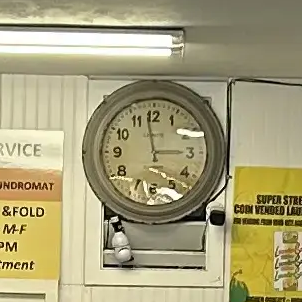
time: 2:58
